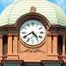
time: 4:40
